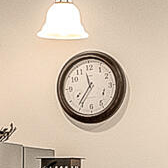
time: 11:36
